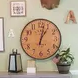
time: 1:02
